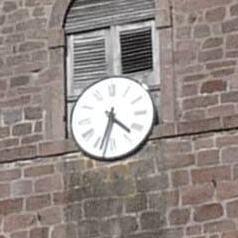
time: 4:33
